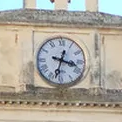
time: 3:32
